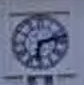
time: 6:12
